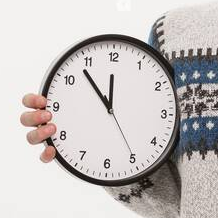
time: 11:53
